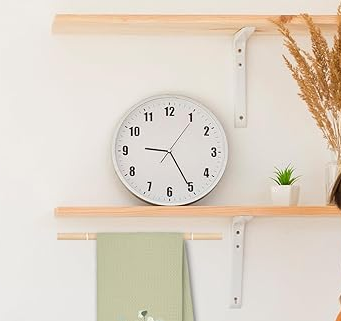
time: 9:25
